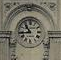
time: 10:43
